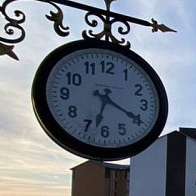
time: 6:19
